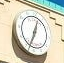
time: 12:33
